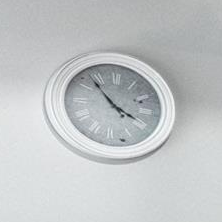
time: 3:52
